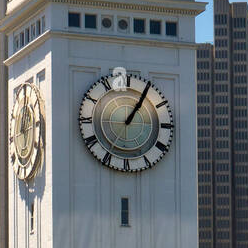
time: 1:05
